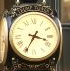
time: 3:34
